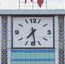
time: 7:28
